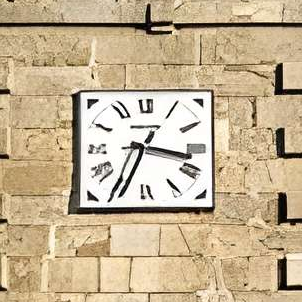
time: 3:34
